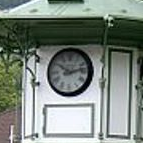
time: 10:12
